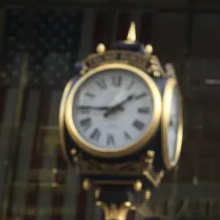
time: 1:45
